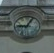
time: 9:05
